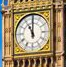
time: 11:00
